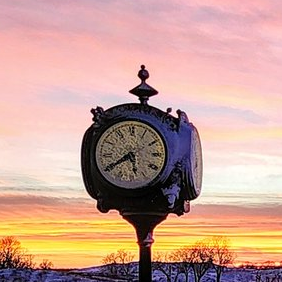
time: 5:40
